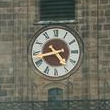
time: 4:42
